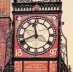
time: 11:41
